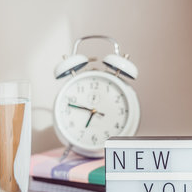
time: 6:47
